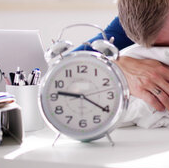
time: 9:20
